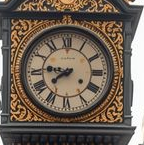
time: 7:46
